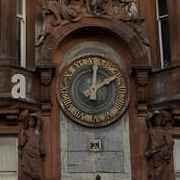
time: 2:01
